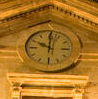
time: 10:00
